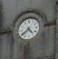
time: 4:38
